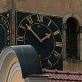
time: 1:52
